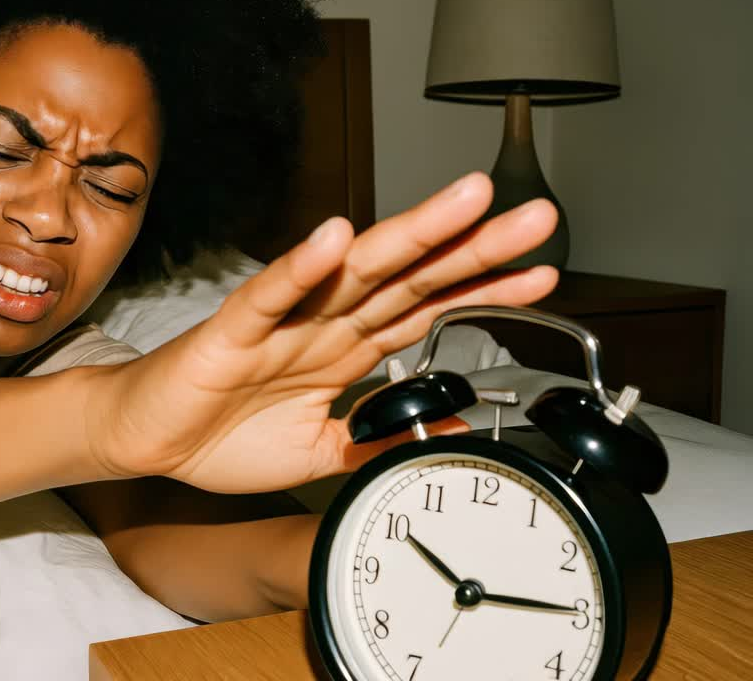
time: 10:14
